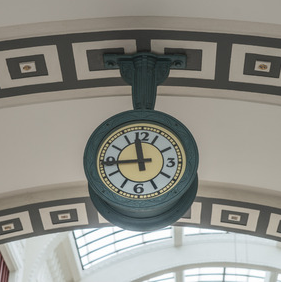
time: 11:43
